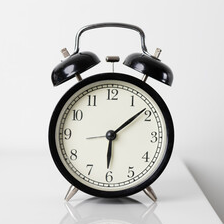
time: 6:08
